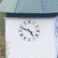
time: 4:48
